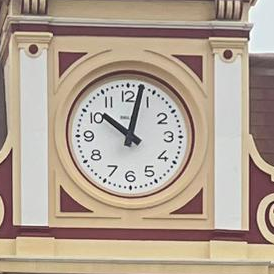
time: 10:02
